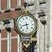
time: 5:42
